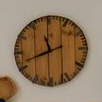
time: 11:41
